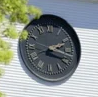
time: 2:16
